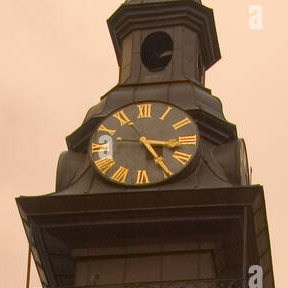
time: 3:24
